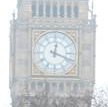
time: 12:18
